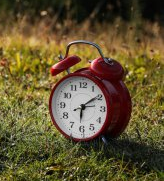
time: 6:09
